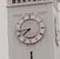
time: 7:43
